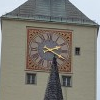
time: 2:18
